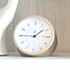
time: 1:45
